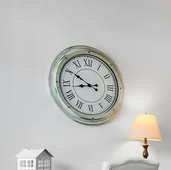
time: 8:50
